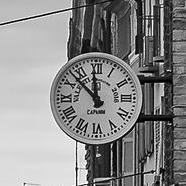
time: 11:52
